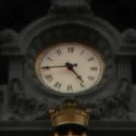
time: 4:44
